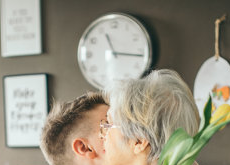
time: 11:16
